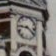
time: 9:20
